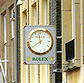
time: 11:39
